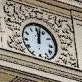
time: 12:02
